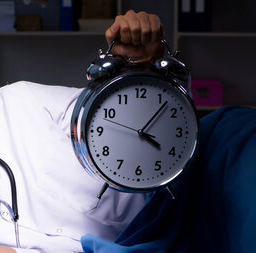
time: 4:07
